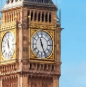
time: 11:25
